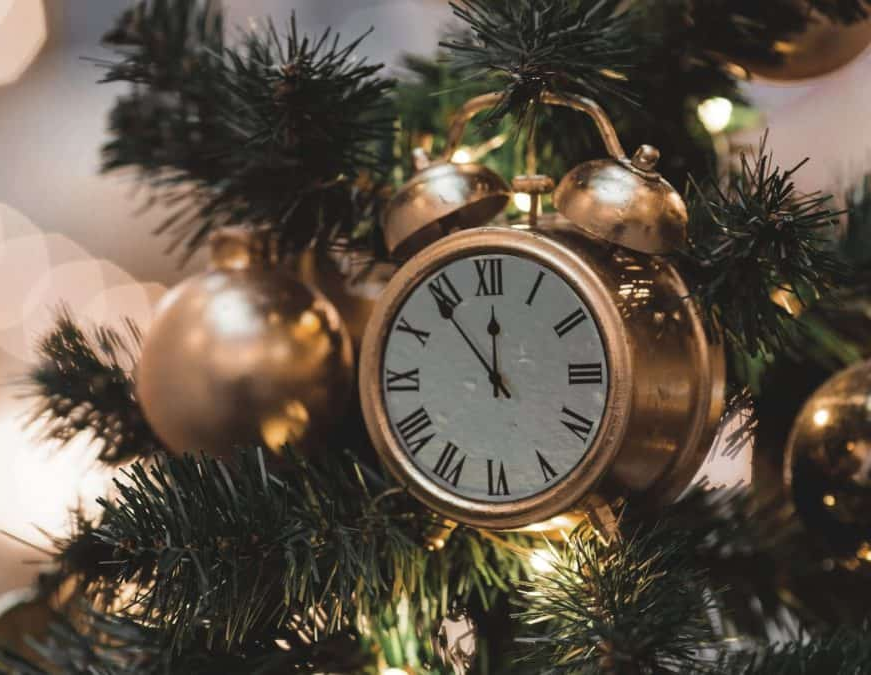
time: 11:53
